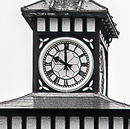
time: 9:59
